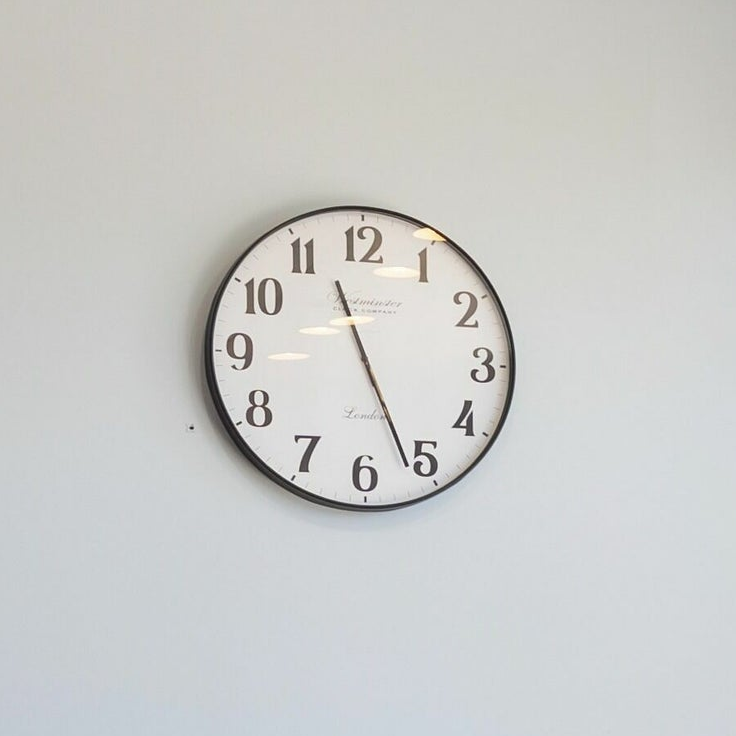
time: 11:26
